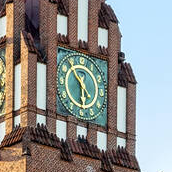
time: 5:53
